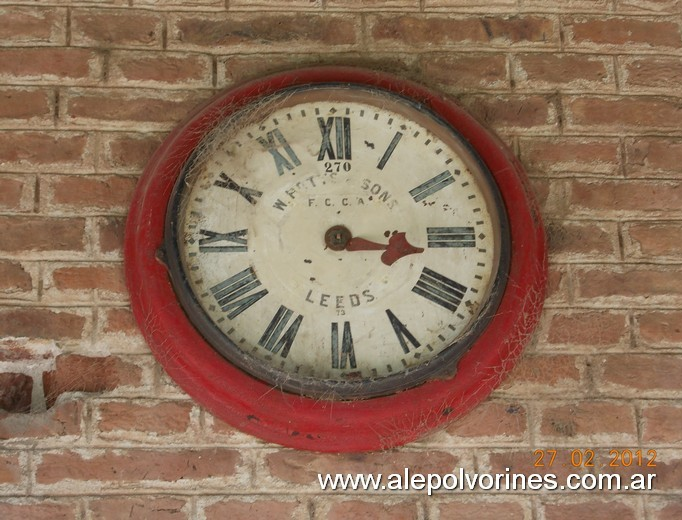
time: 3:16
